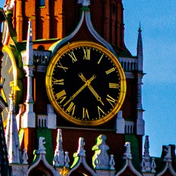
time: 4:37
